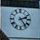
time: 2:23
